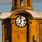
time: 6:58
